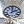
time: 2:00
